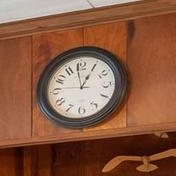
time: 12:58
